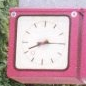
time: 8:14
